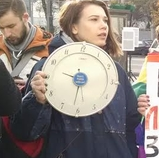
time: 9:31
